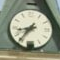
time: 8:36
